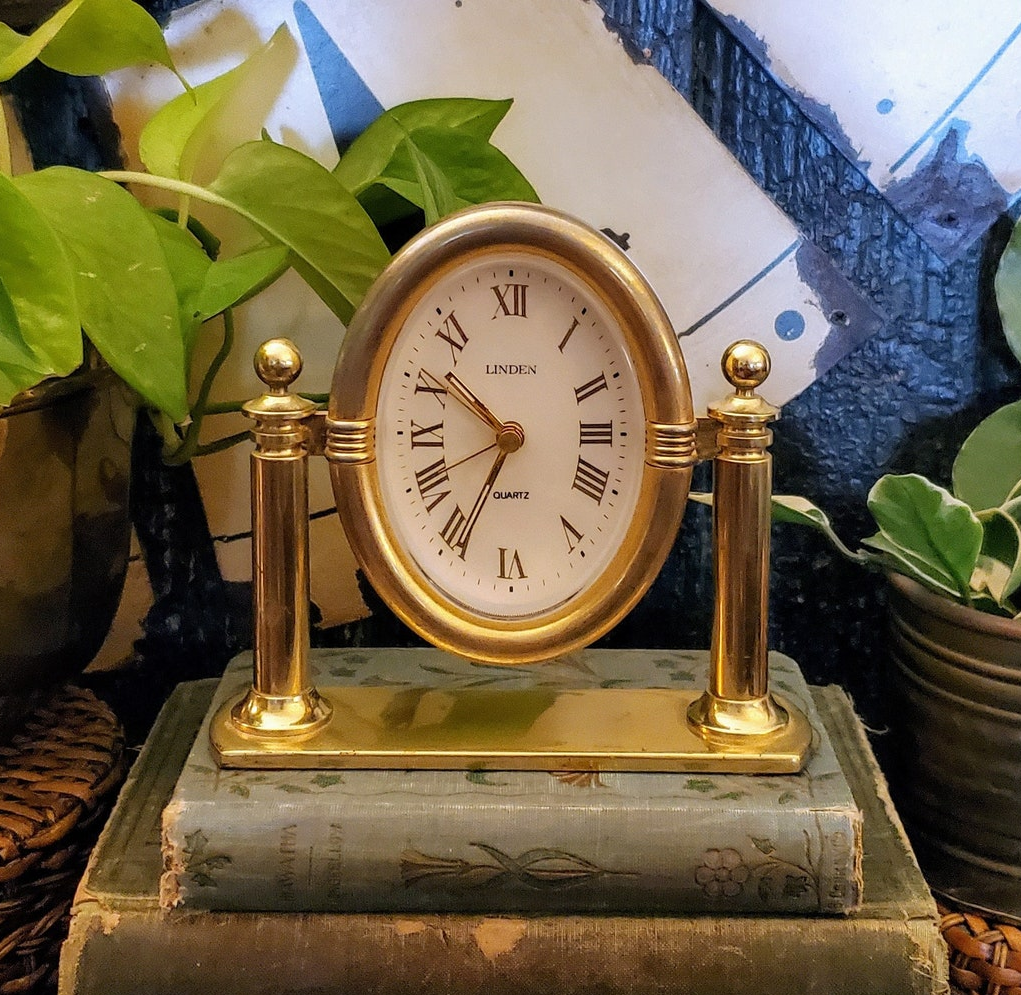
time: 9:34
